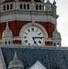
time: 5:14
